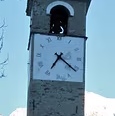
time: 7:21
